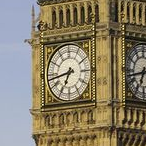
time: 6:43
